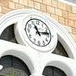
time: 11:13
